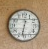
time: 12:32
